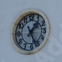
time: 1:26
